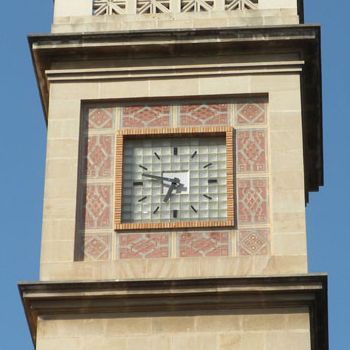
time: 6:47
